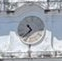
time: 10:37
